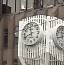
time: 11:41
